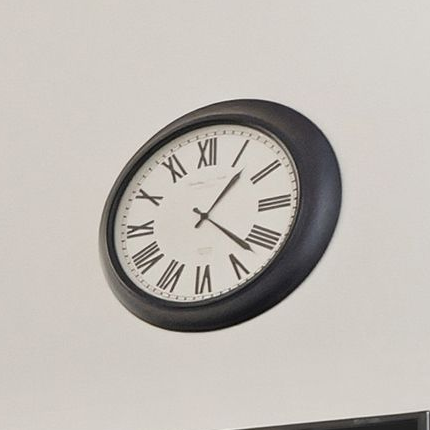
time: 1:22
